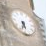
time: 5:33
